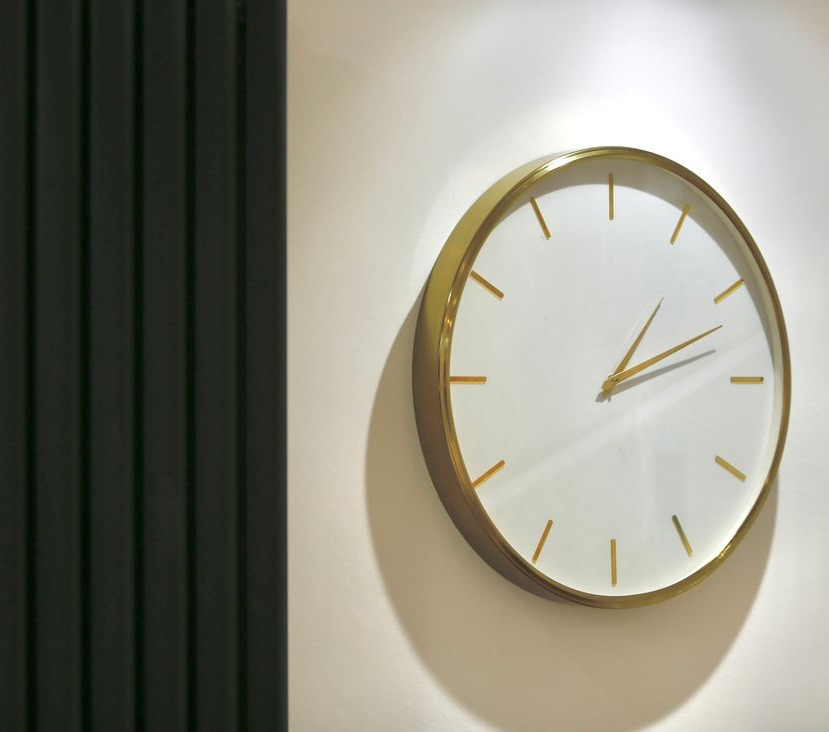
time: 1:12
